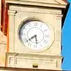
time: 5:38
